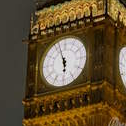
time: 5:57
